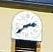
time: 2:38
